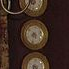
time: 8:32
